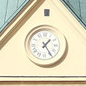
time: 1:24
